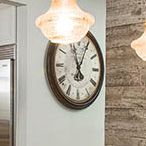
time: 11:04
